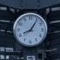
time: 8:06
